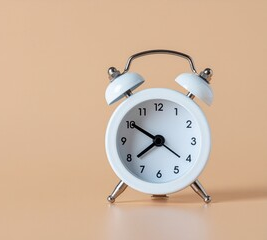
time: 7:50
